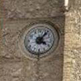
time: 4:06
